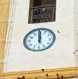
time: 11:59
